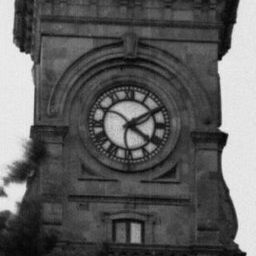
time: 4:09
